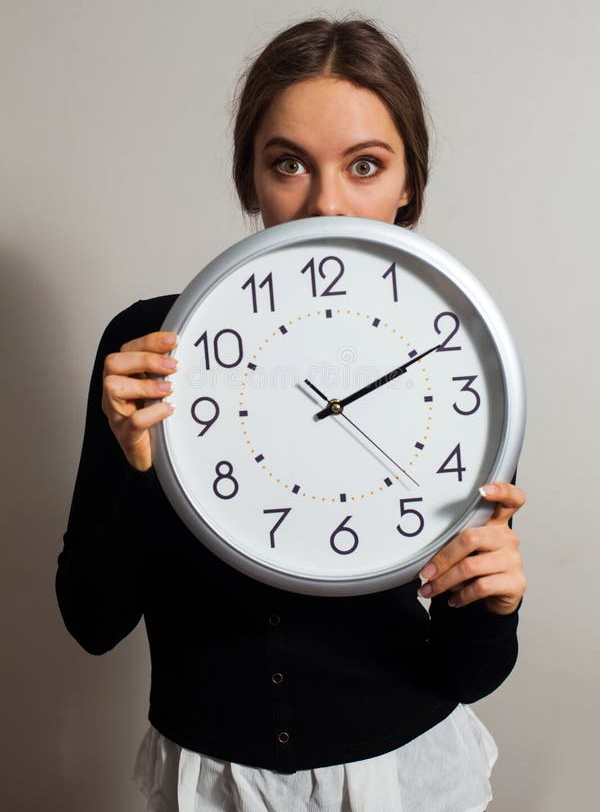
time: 2:10
